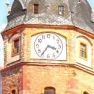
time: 3:35
